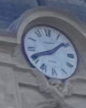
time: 1:41
